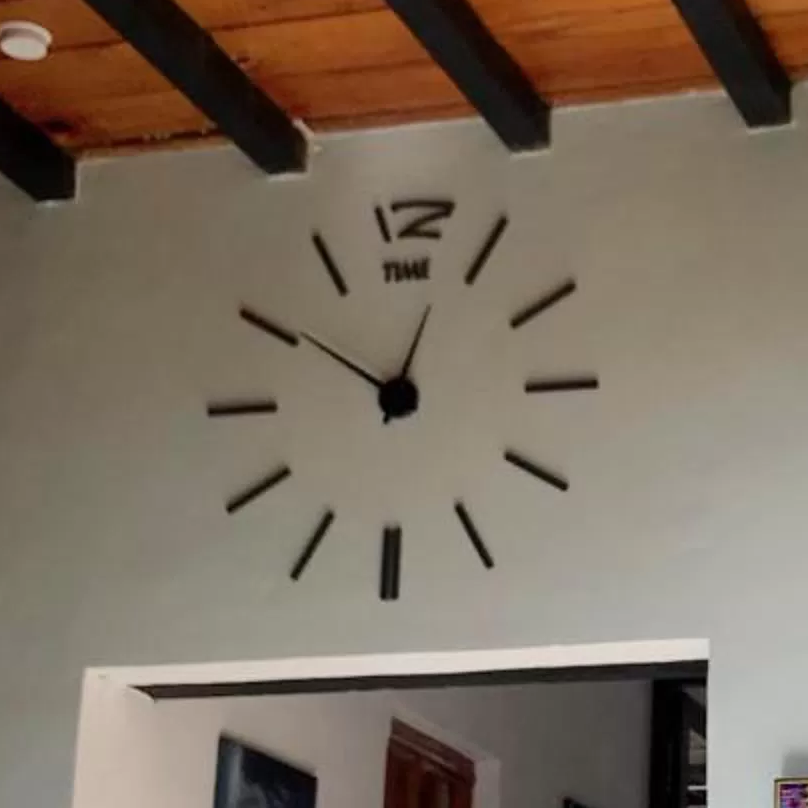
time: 12:50
